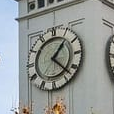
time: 1:22
